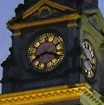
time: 3:40
